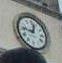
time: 12:46
